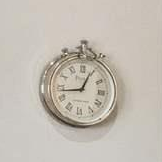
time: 12:43
